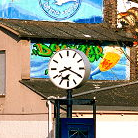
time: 8:19
